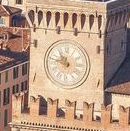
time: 10:47
